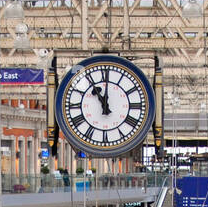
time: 11:00
